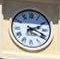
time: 2:18
